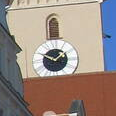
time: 1:49
